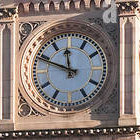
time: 11:48
